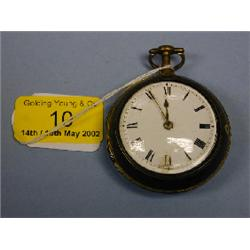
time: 11:55
